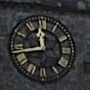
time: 11:43
